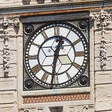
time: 12:31
